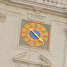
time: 4:22
